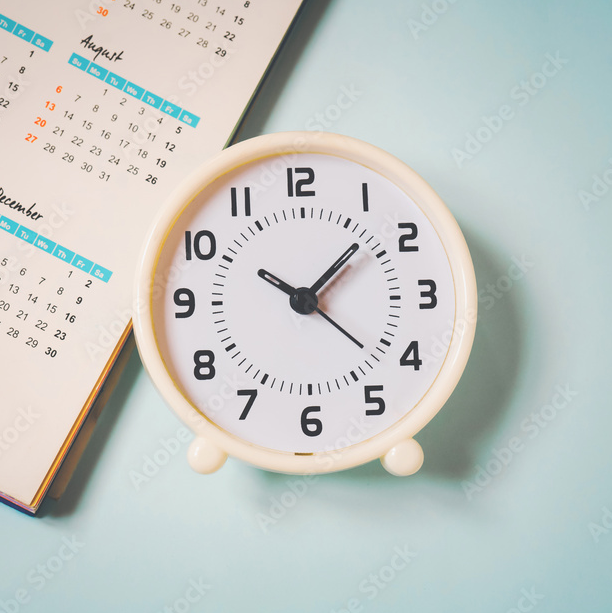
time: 10:07
